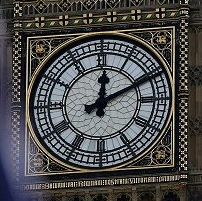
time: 12:10
